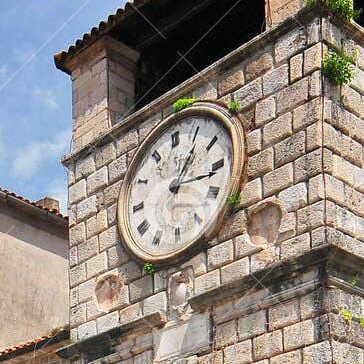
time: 1:16
